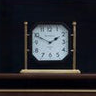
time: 1:49
